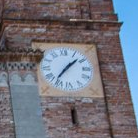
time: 1:36
